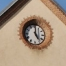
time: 5:00
